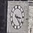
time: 3:23
